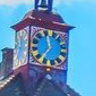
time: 11:35
